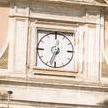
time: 12:33
